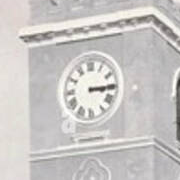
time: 3:14
